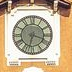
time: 3:32
